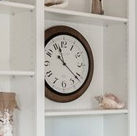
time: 11:21
